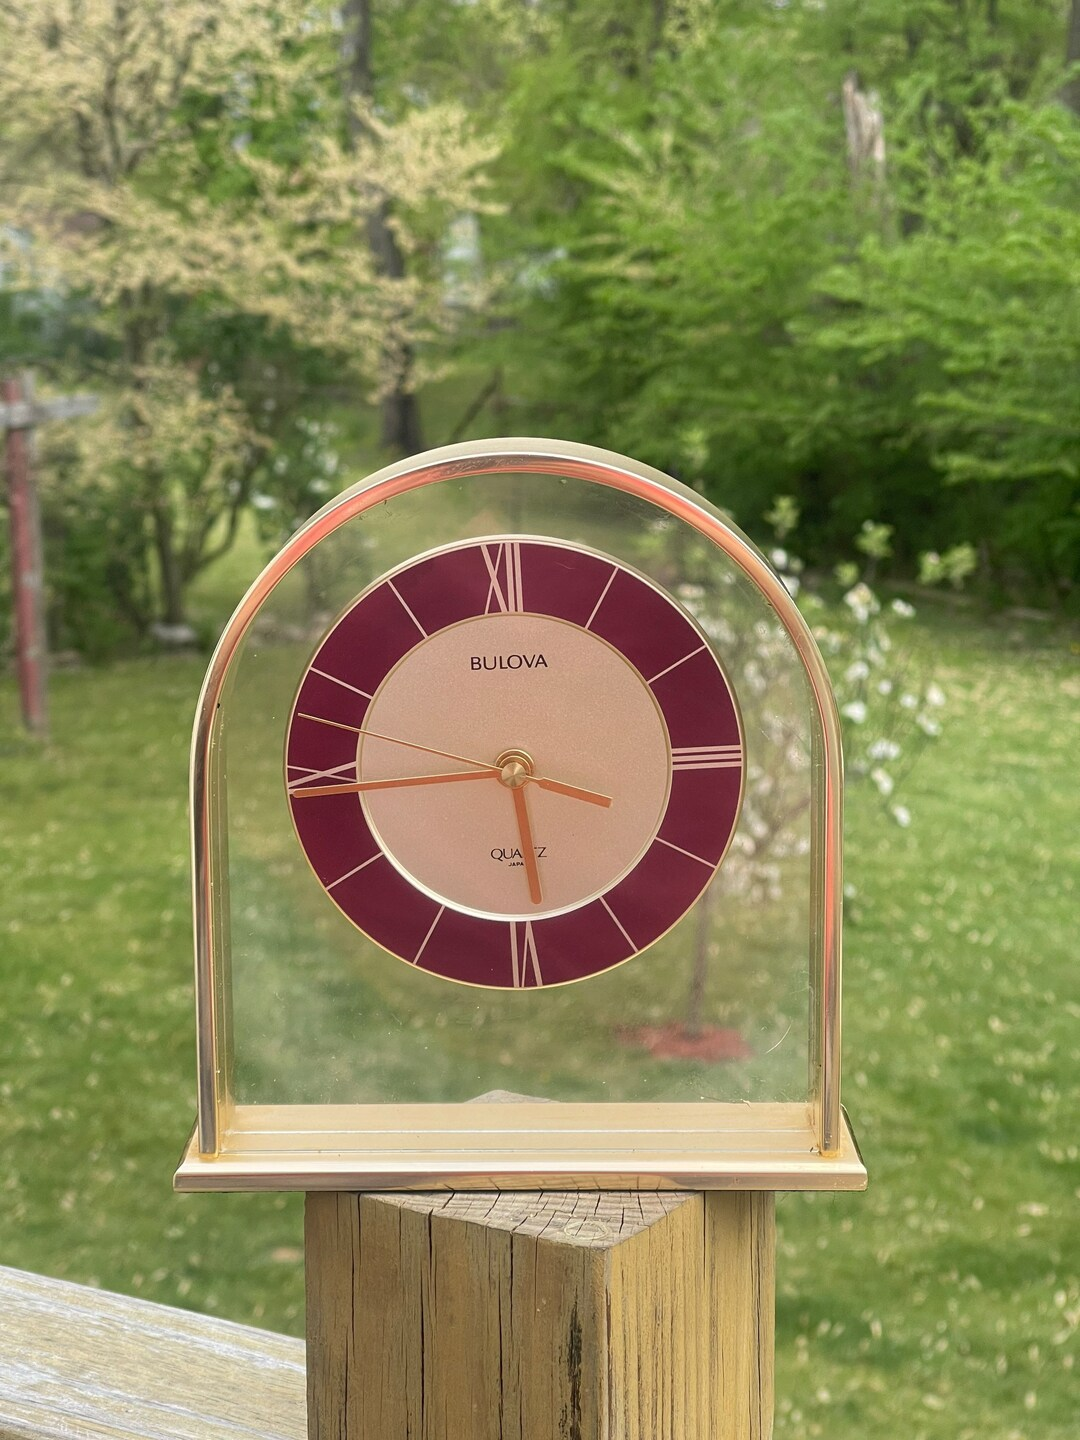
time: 5:44
